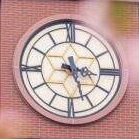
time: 3:26
